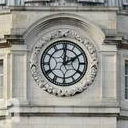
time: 2:00
